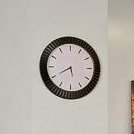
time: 5:40
